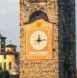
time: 12:13
